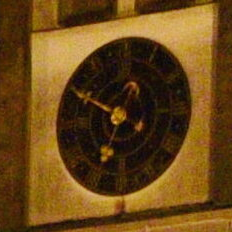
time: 6:49
